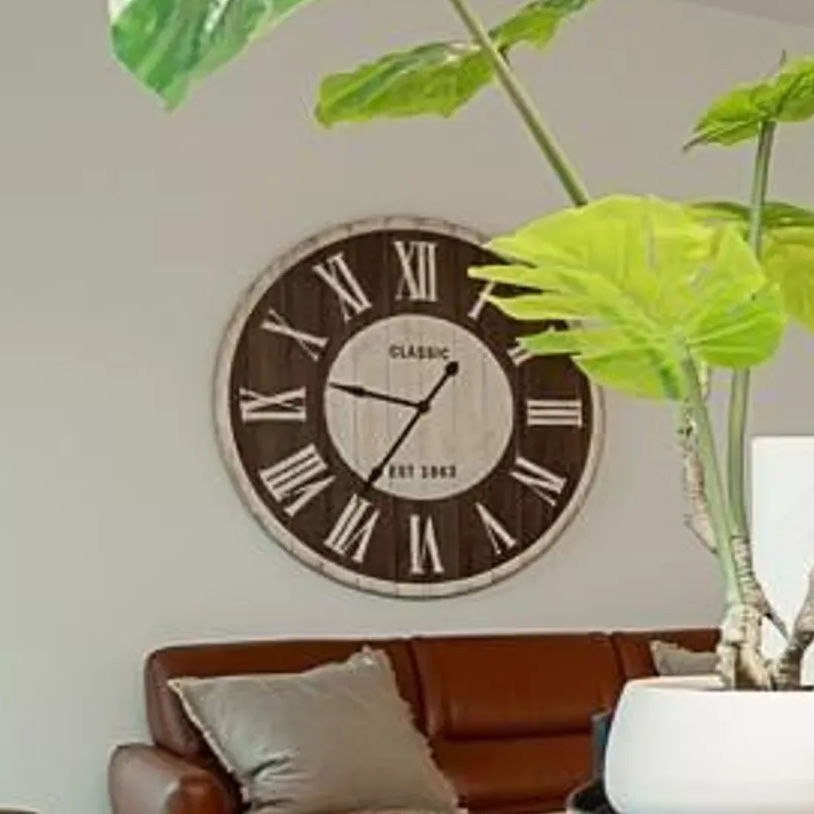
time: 9:36
